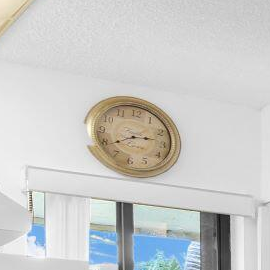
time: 2:39
